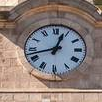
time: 12:42
